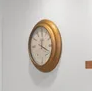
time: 12:18
